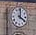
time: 4:01
